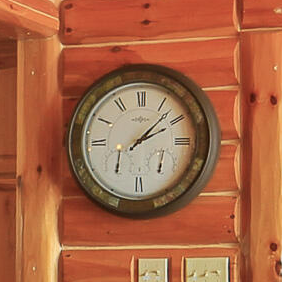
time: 2:07
